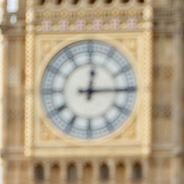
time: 12:14
